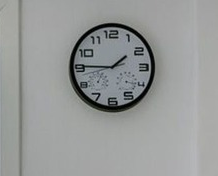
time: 1:45
